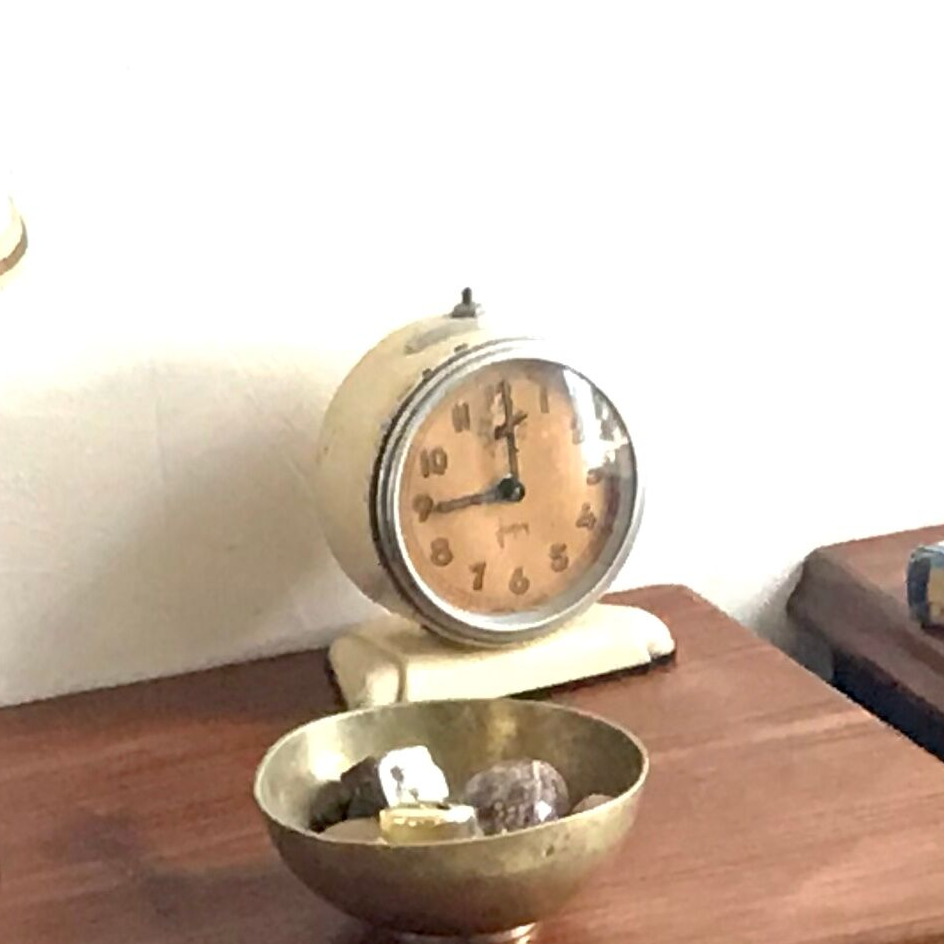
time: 11:44
